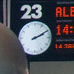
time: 2:10
